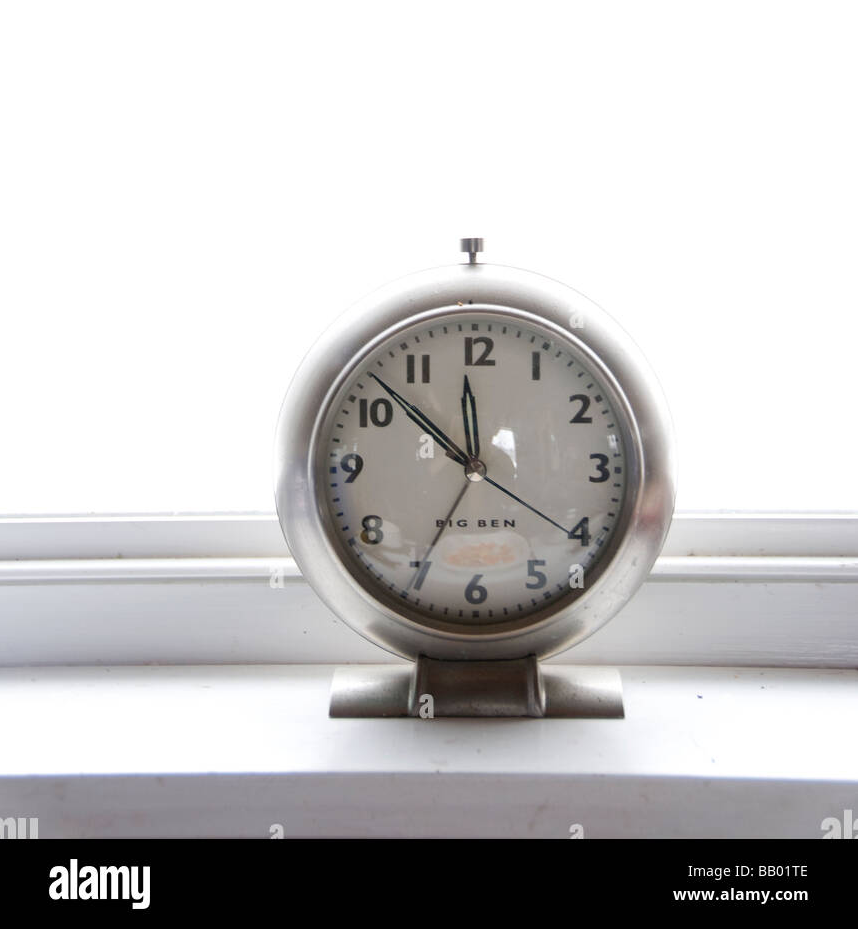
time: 11:52
